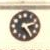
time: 2:23
